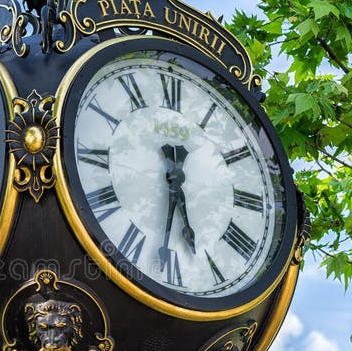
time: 5:31
